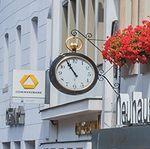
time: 10:55
